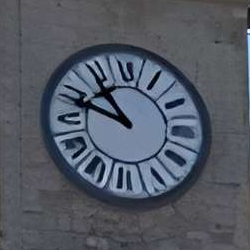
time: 10:48
